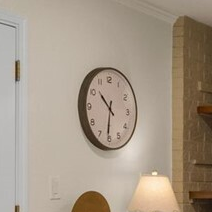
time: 10:31
